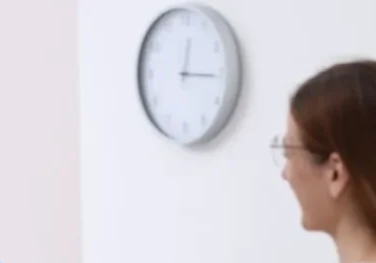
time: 12:15
